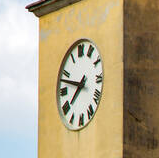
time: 7:47
